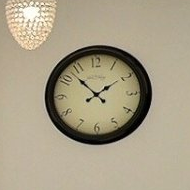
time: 1:52
